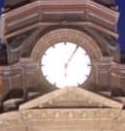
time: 6:05
